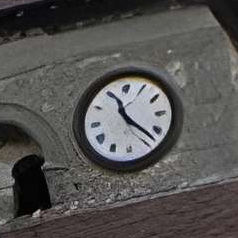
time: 11:22
